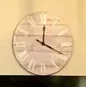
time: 12:19
